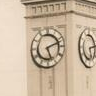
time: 5:11
